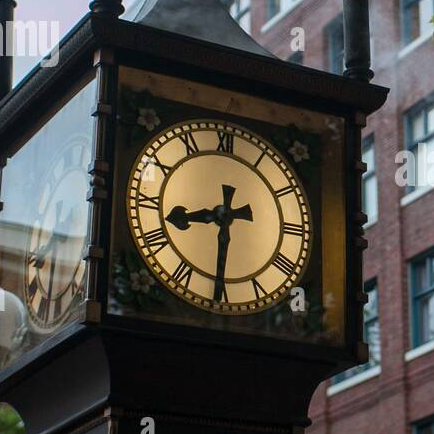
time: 8:30
